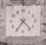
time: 4:35
